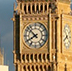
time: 7:52
